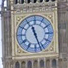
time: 11:26
